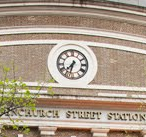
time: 7:32
